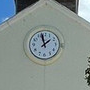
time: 1:57
